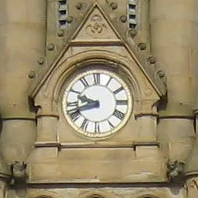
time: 9:42
